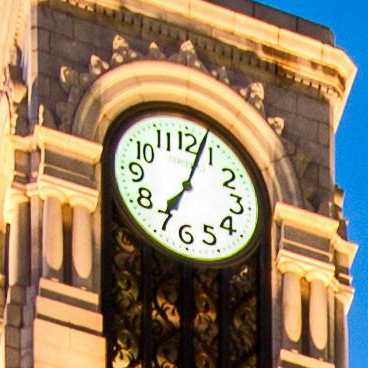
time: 7:03
